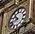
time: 10:42
